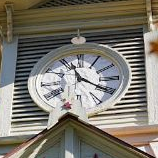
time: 11:20
